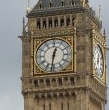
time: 12:31
